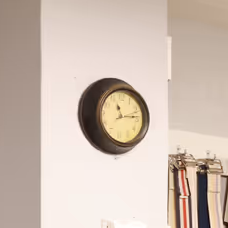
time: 11:13
